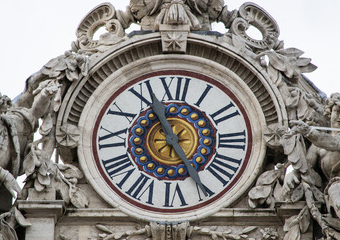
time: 4:56
